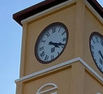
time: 4:18
